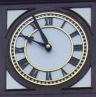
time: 9:55
